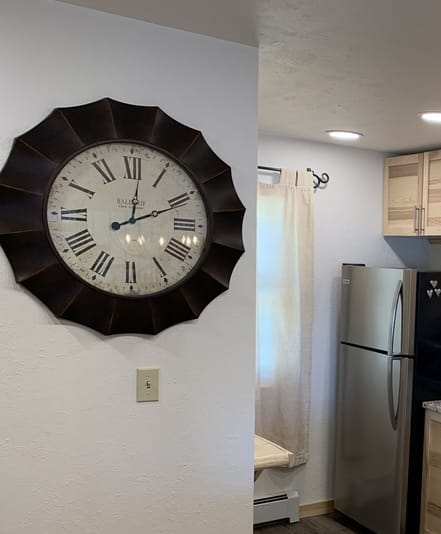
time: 2:01
